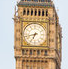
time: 6:42
